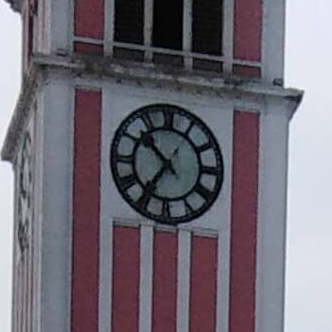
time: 10:35
